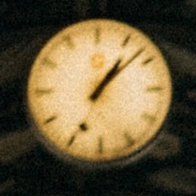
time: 1:07
